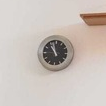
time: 10:45
